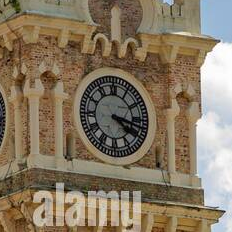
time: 4:17
